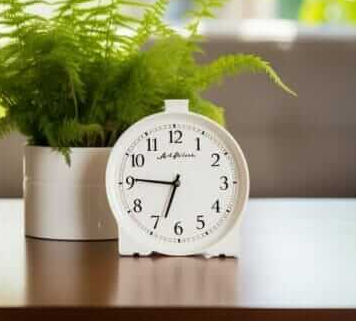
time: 6:45
